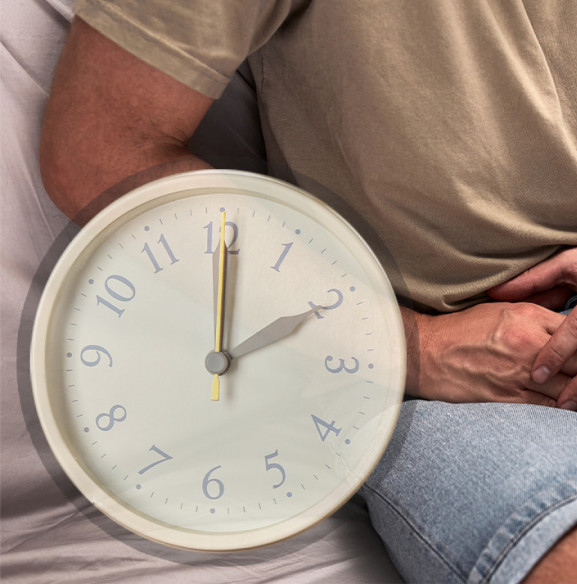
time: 2:00
